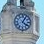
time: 4:04
